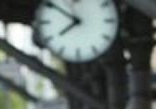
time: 7:51
